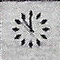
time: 11:53
